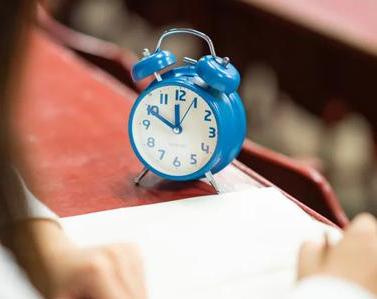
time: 11:49
